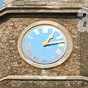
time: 1:13
